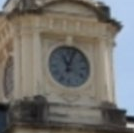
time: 11:03
